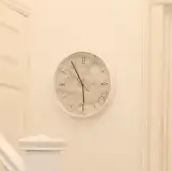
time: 5:55
